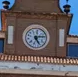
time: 5:13
